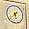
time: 5:37
